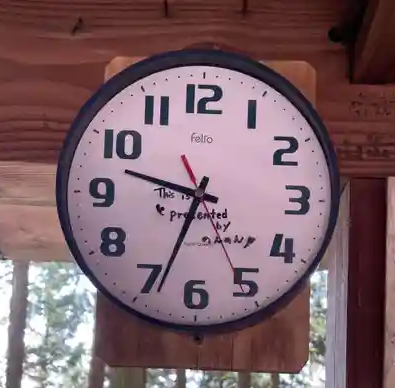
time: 9:33
